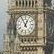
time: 12:55
